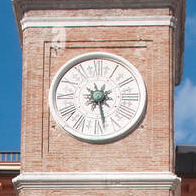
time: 2:27
